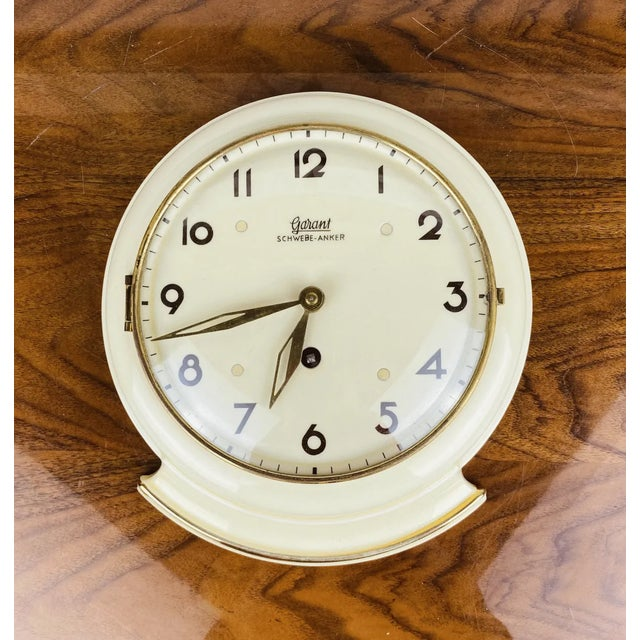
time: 6:42
